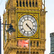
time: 4:22
